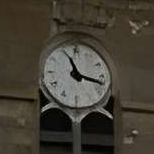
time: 11:17
